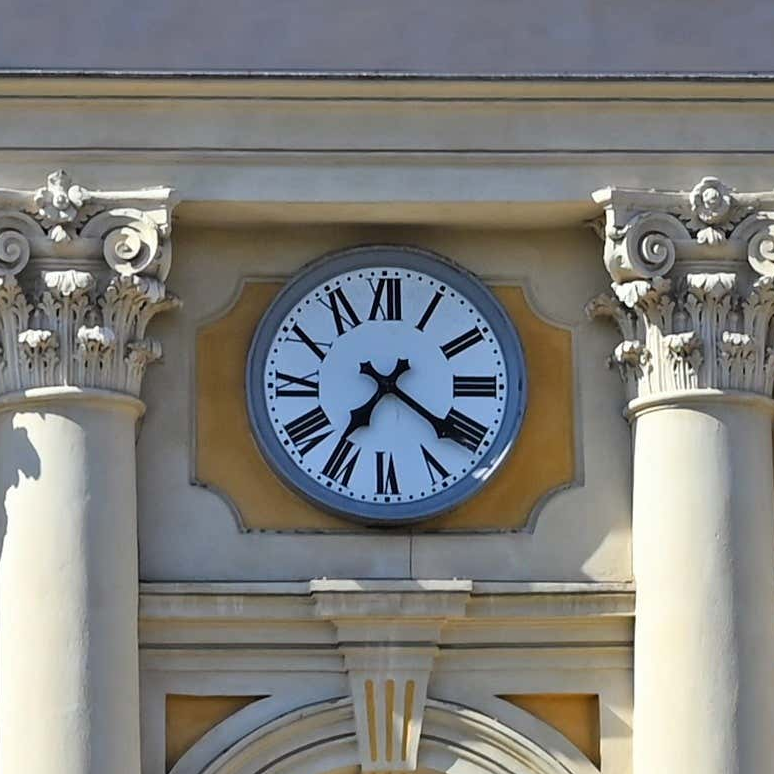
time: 7:20
